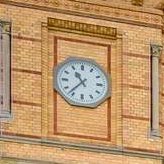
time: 10:37
